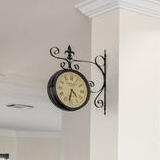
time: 4:32
